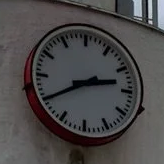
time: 2:40
